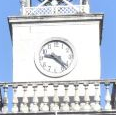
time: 9:22
